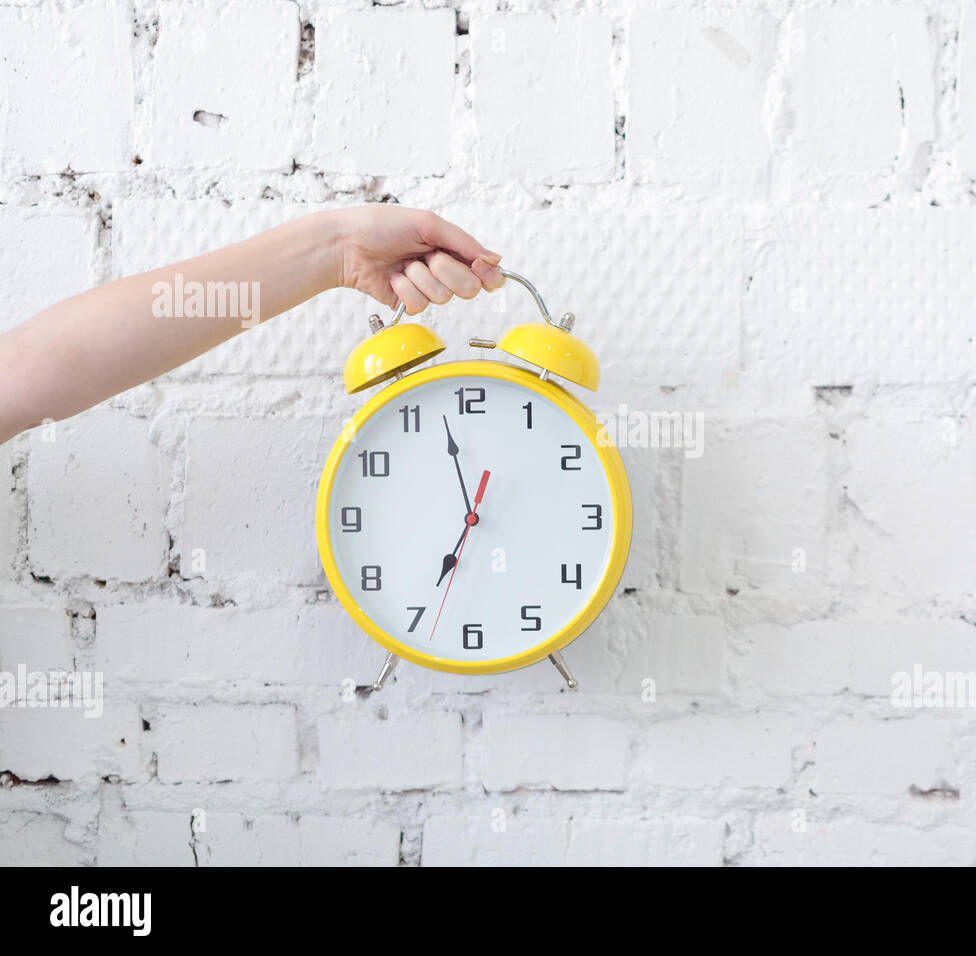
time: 6:57
